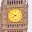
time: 7:49
